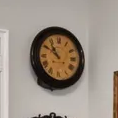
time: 10:50
